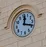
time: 12:18
